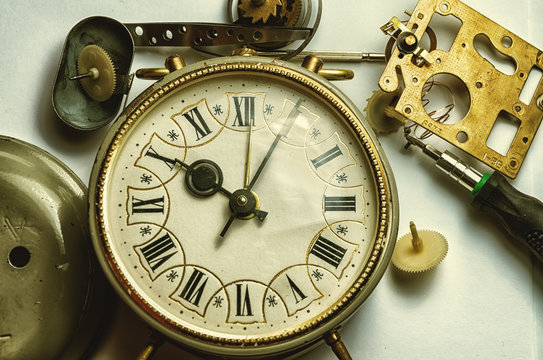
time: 10:04
